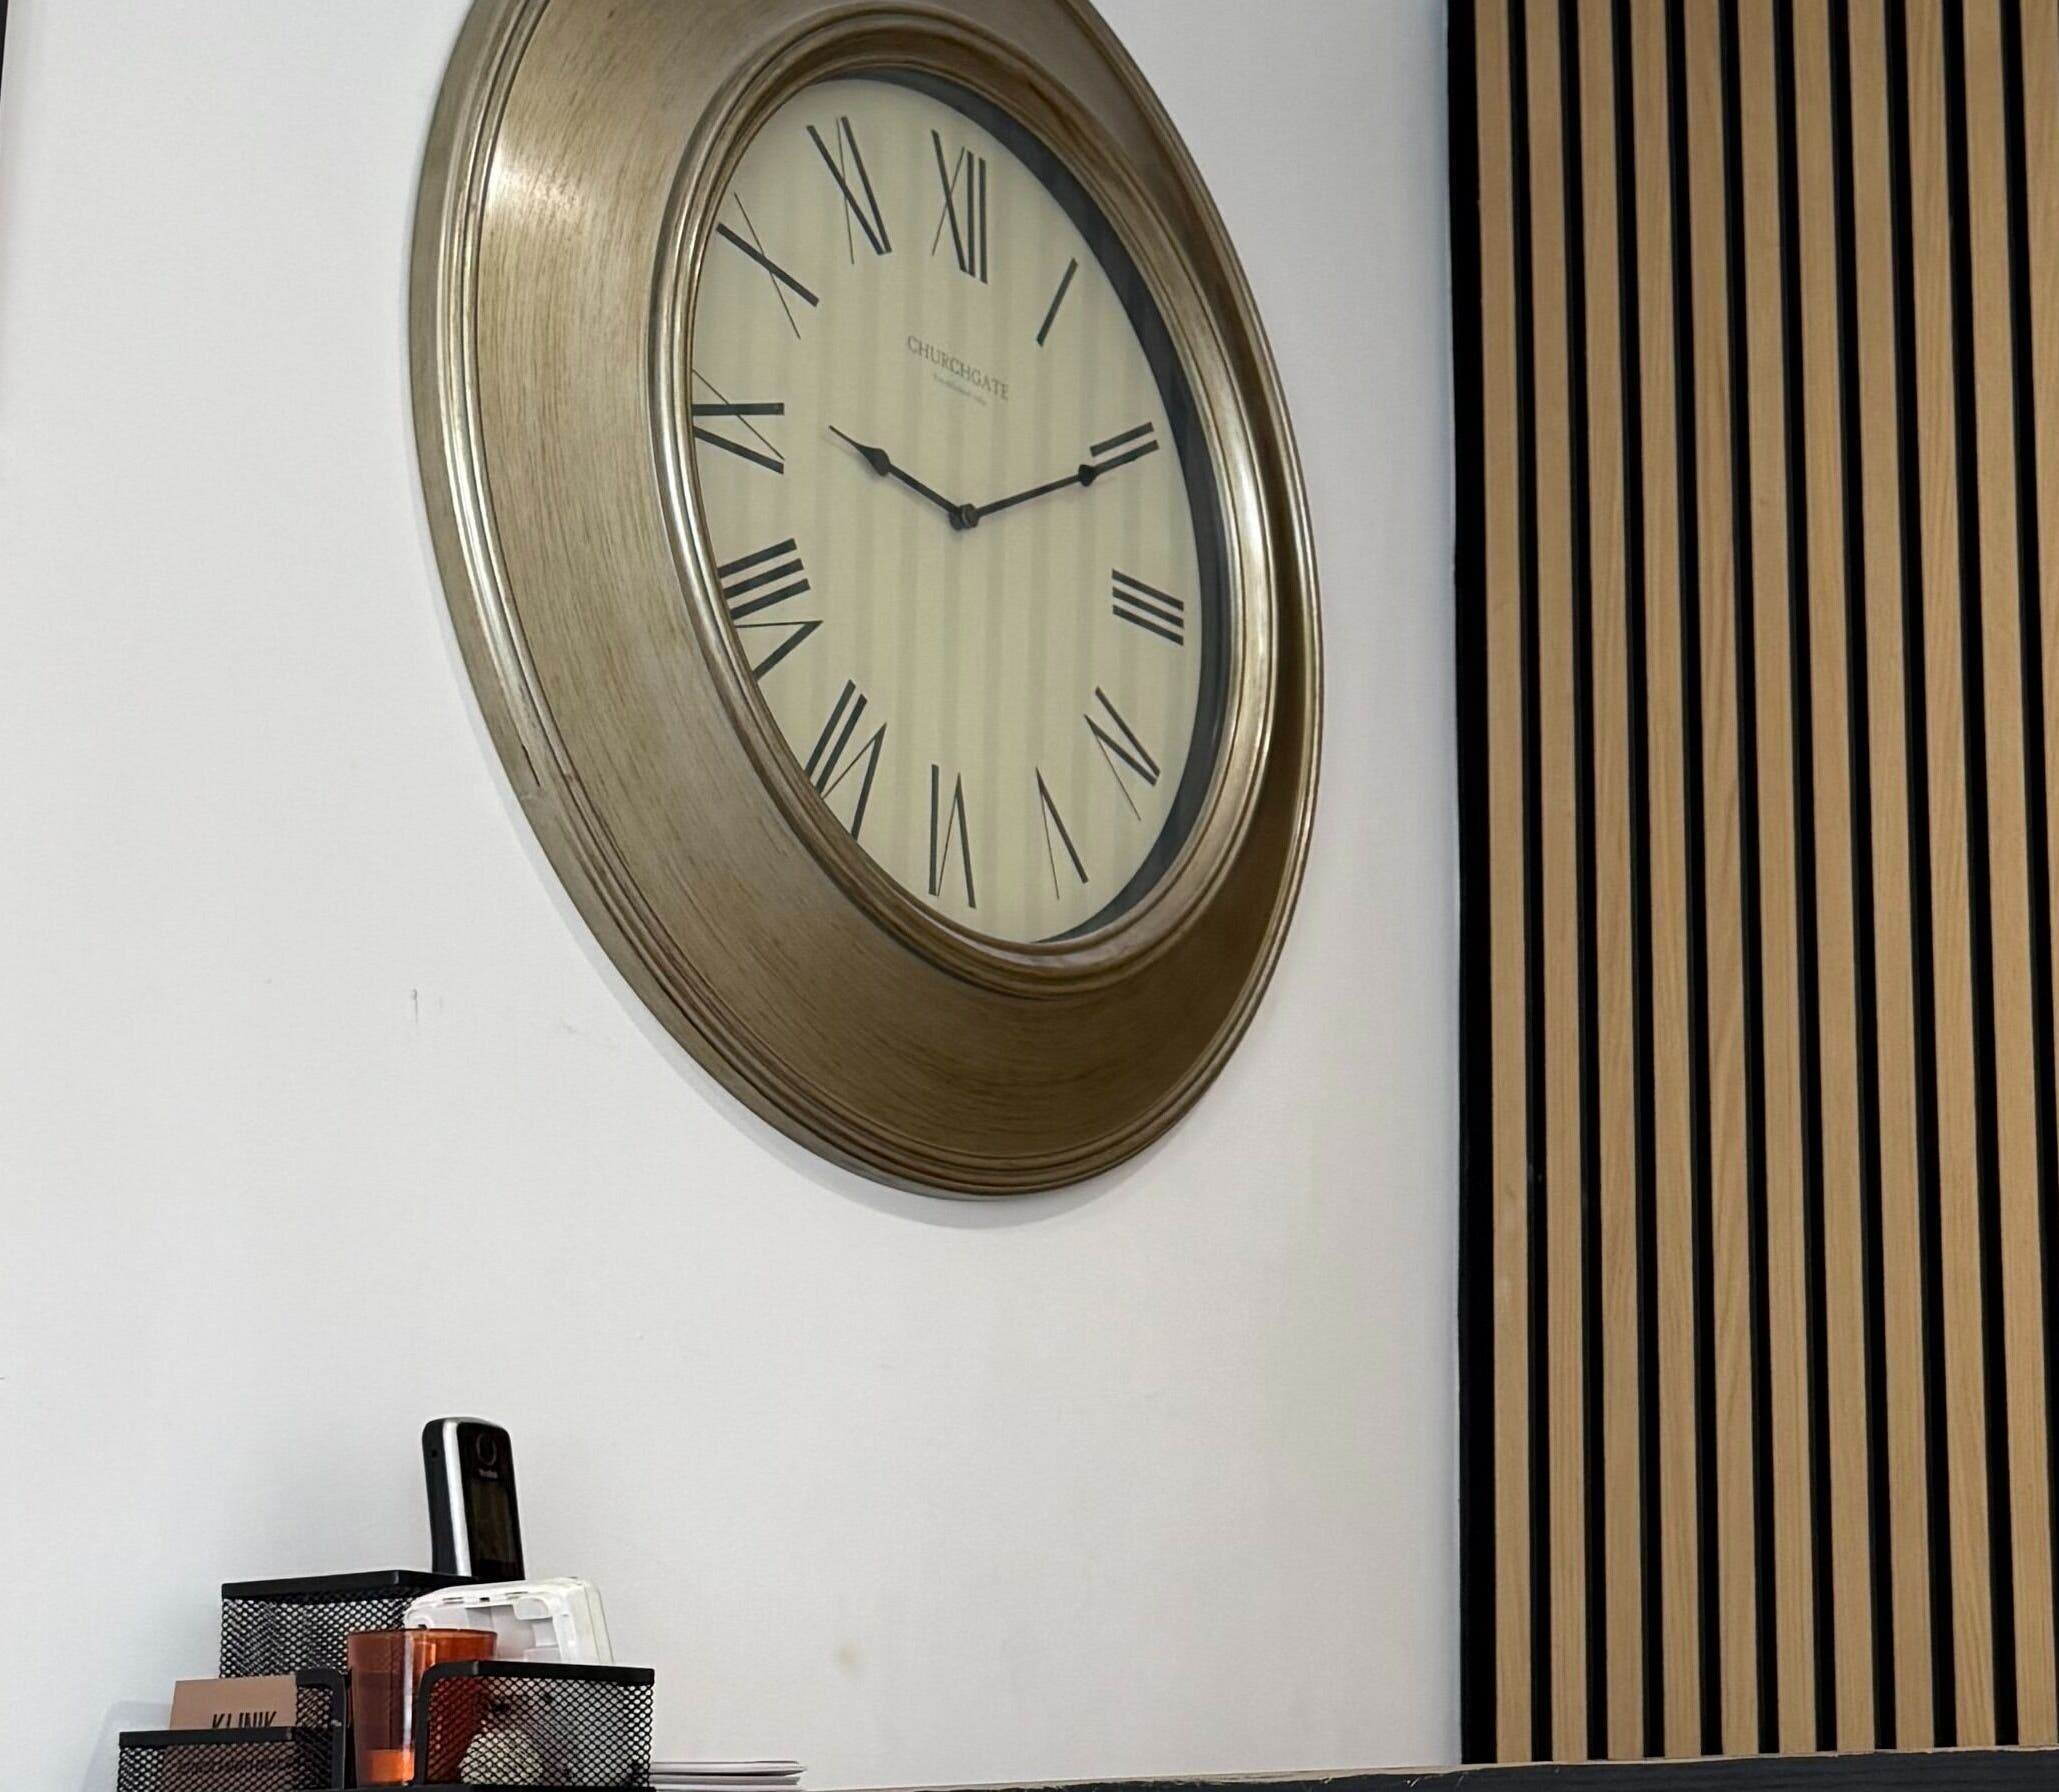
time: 9:10
